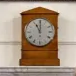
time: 11:00
